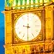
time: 9:31
